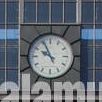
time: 9:55
